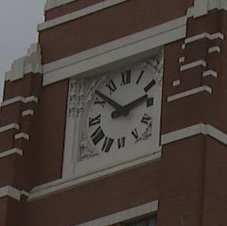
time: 2:52
